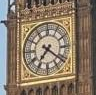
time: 7:21
